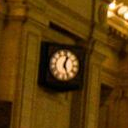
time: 5:03
